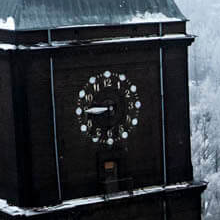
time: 8:45
